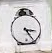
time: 3:24
